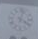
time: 4:02
